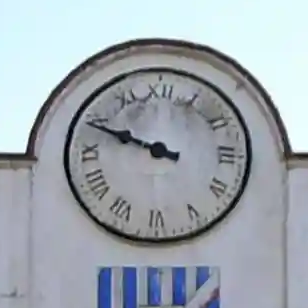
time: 9:48
